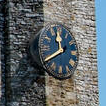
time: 11:40
